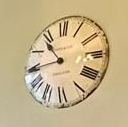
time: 10:44
